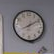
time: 8:09
